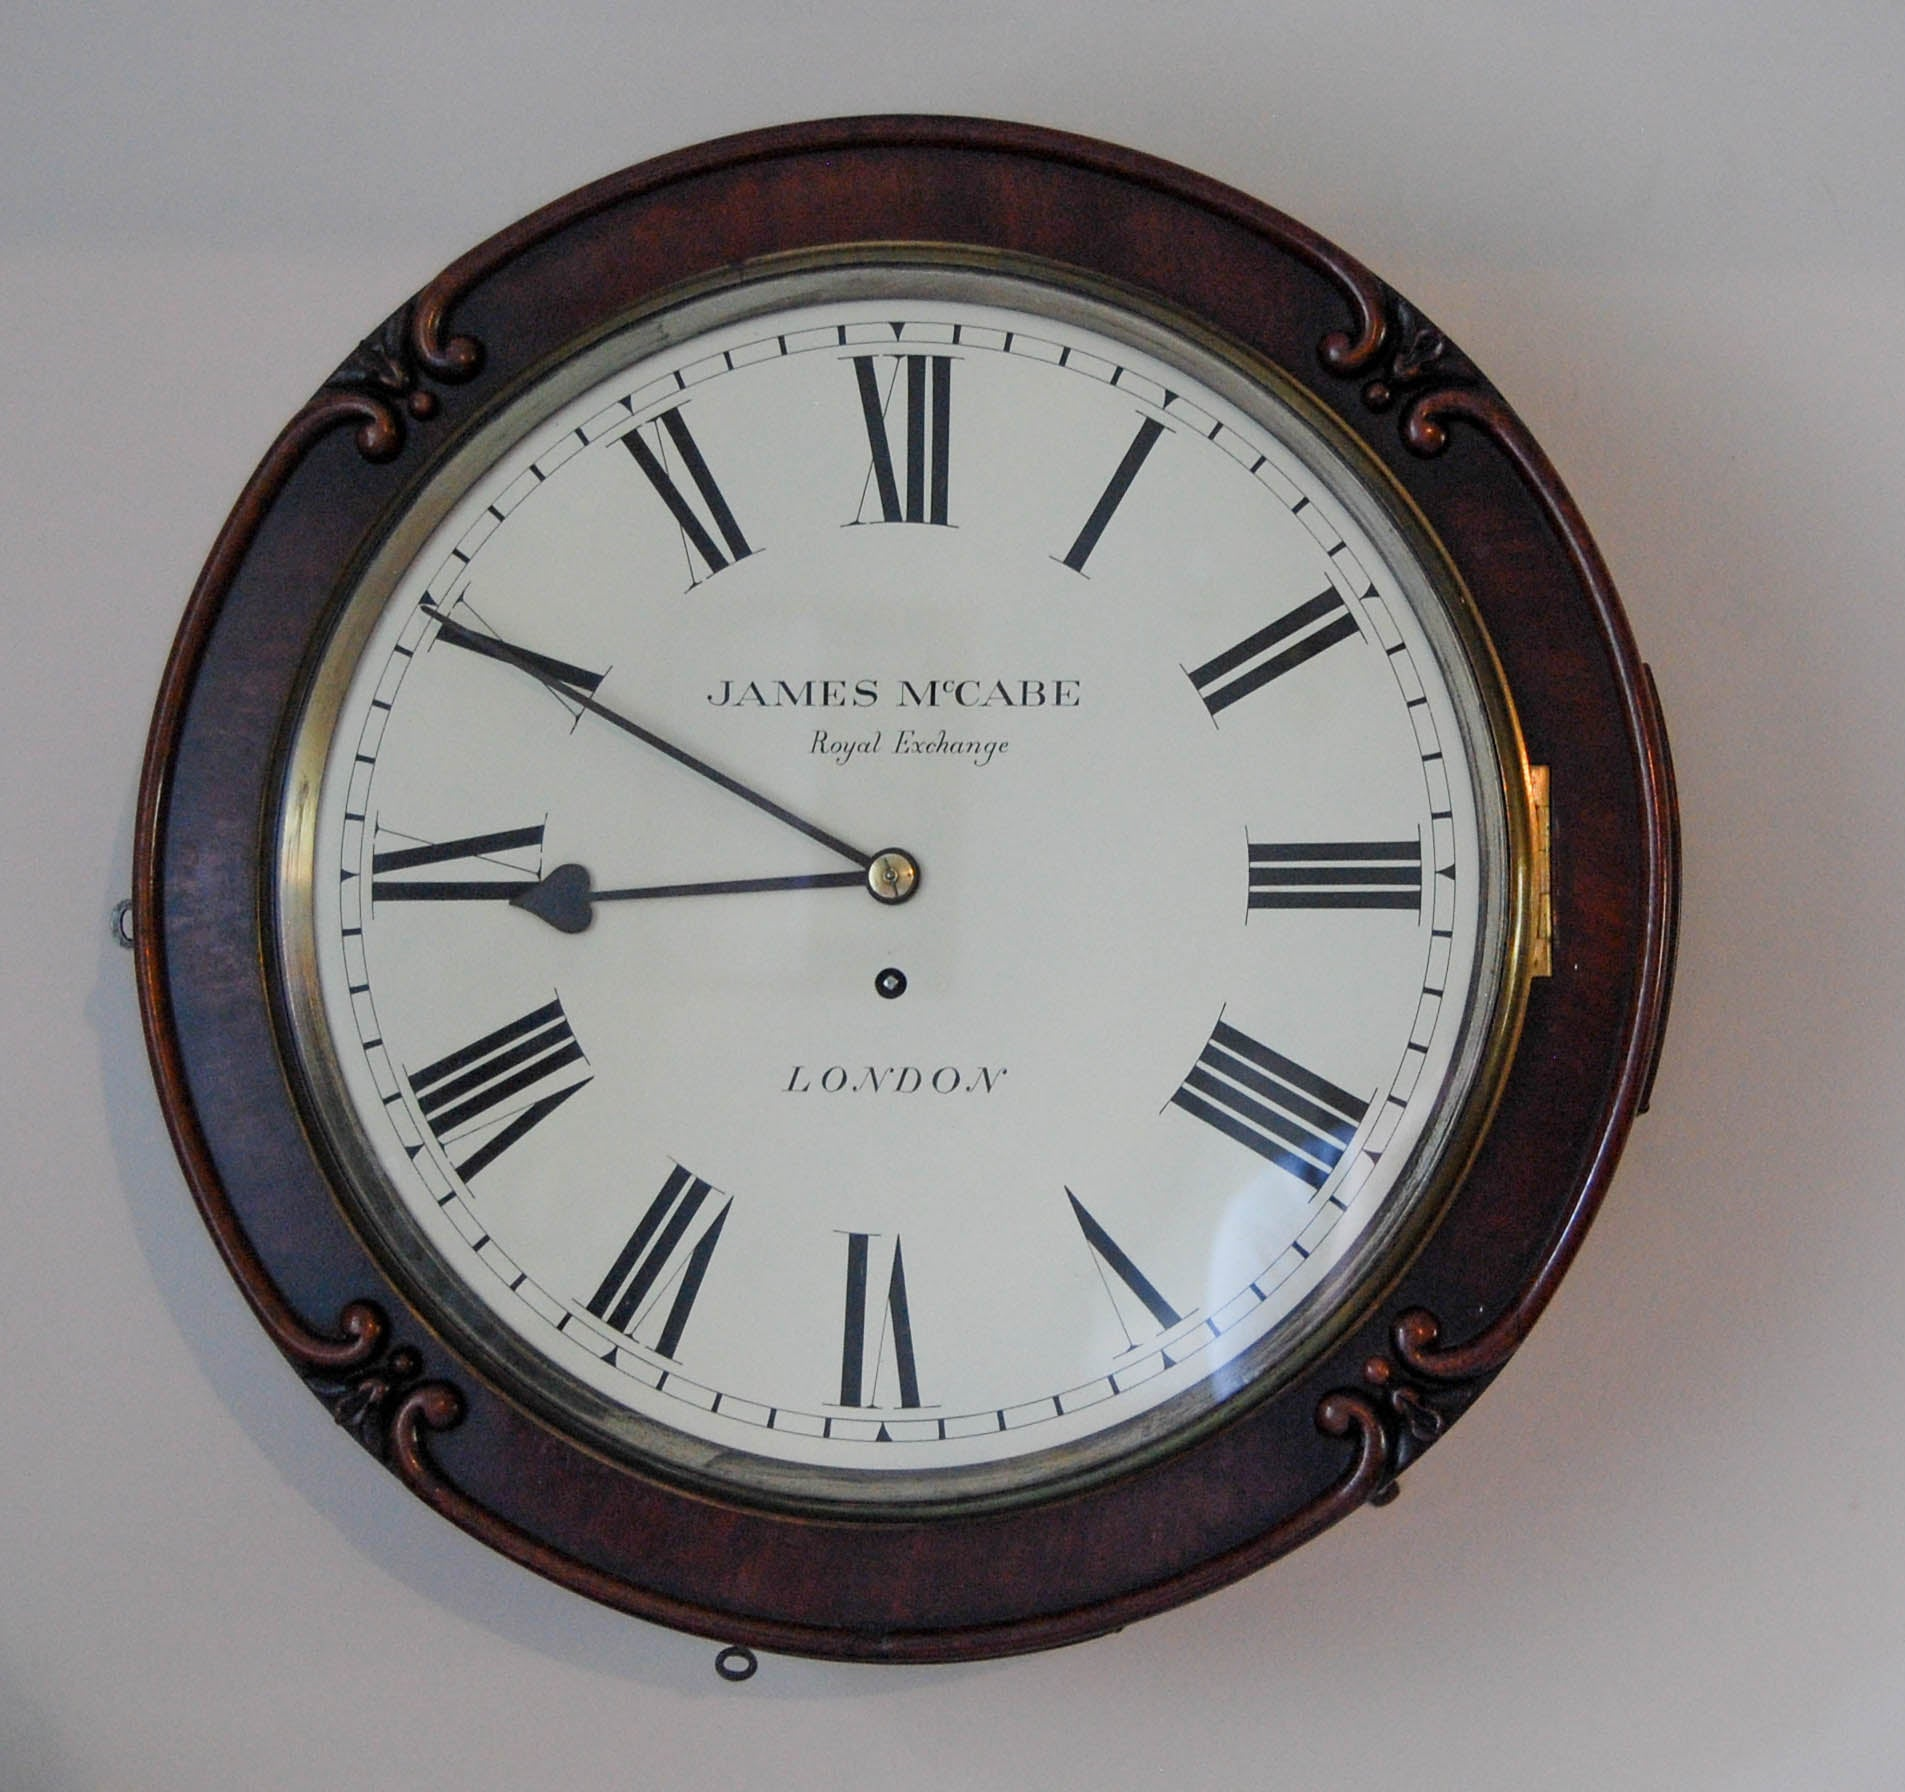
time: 8:49
